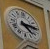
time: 4:14
